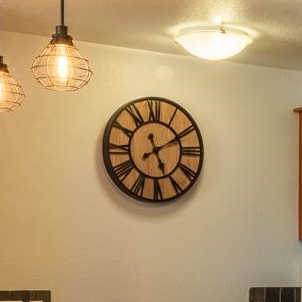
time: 5:10
